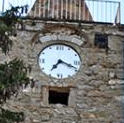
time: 7:18
